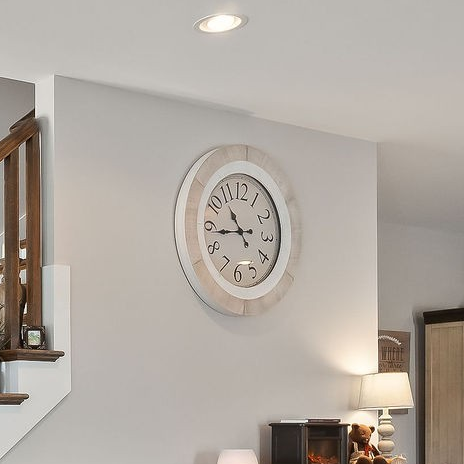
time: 10:43
